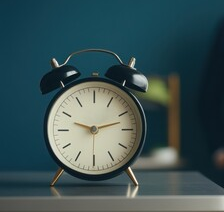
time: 9:12
